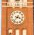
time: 3:37
